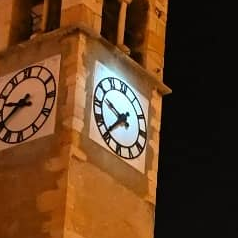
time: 9:36
